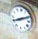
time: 8:11
